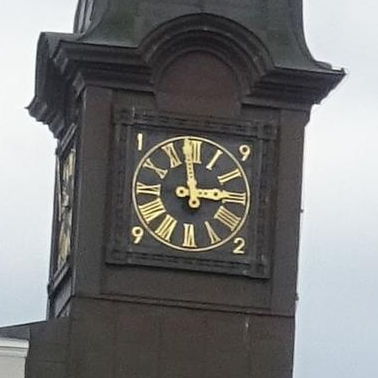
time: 2:58
